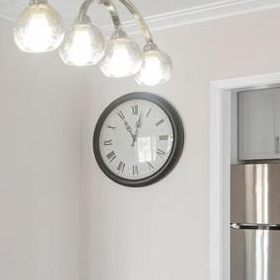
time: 11:02
